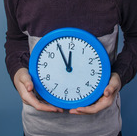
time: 11:54
